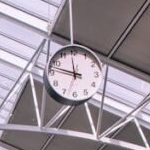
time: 11:47
